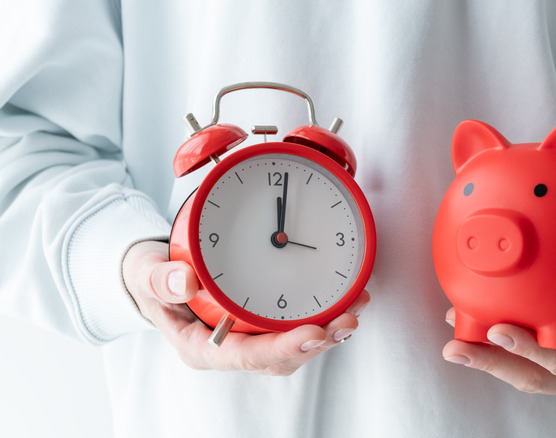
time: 12:01
